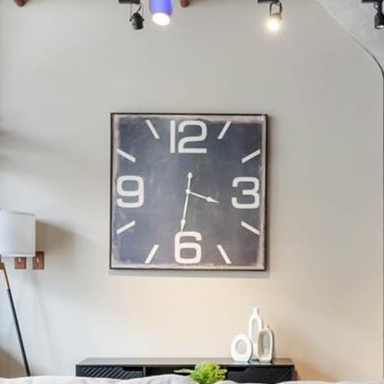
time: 3:32
